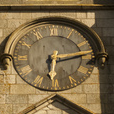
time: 6:13
